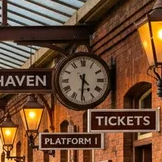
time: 4:31
